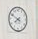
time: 7:49
